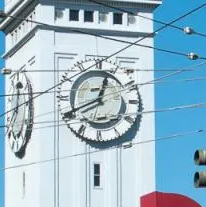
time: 12:40
